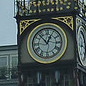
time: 12:52
